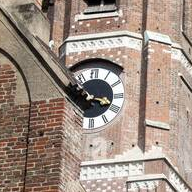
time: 3:52
